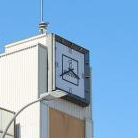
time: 3:40
